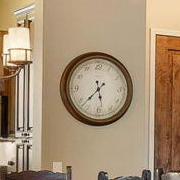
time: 5:37
